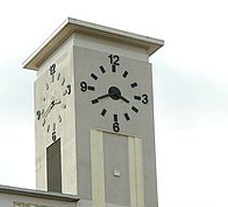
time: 3:40
